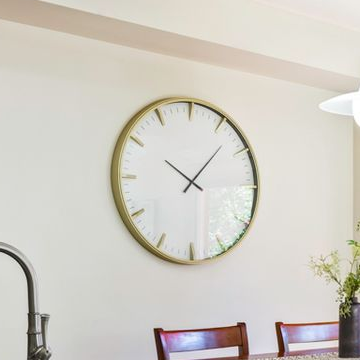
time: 10:07
